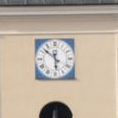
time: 5:51
